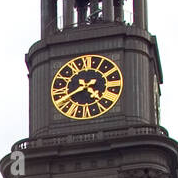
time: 4:40
